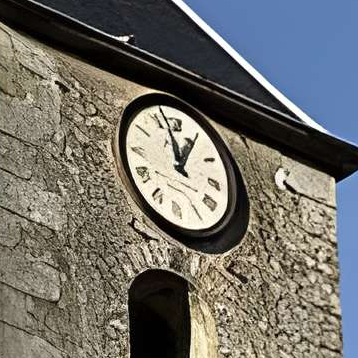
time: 12:57
